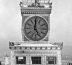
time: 5:00
